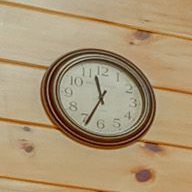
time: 11:34
